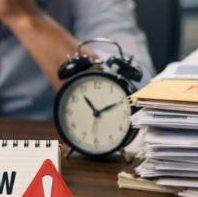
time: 1:53
